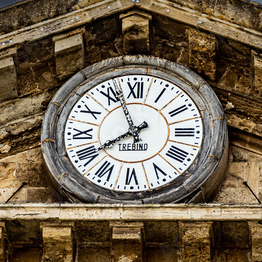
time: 7:56
